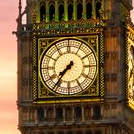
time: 7:36
